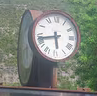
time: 5:43
